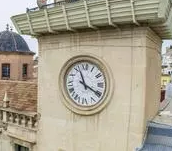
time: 11:19
